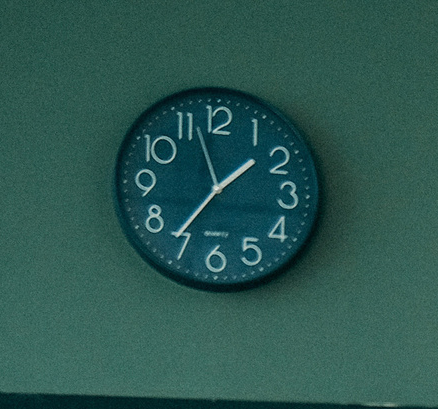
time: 1:36
